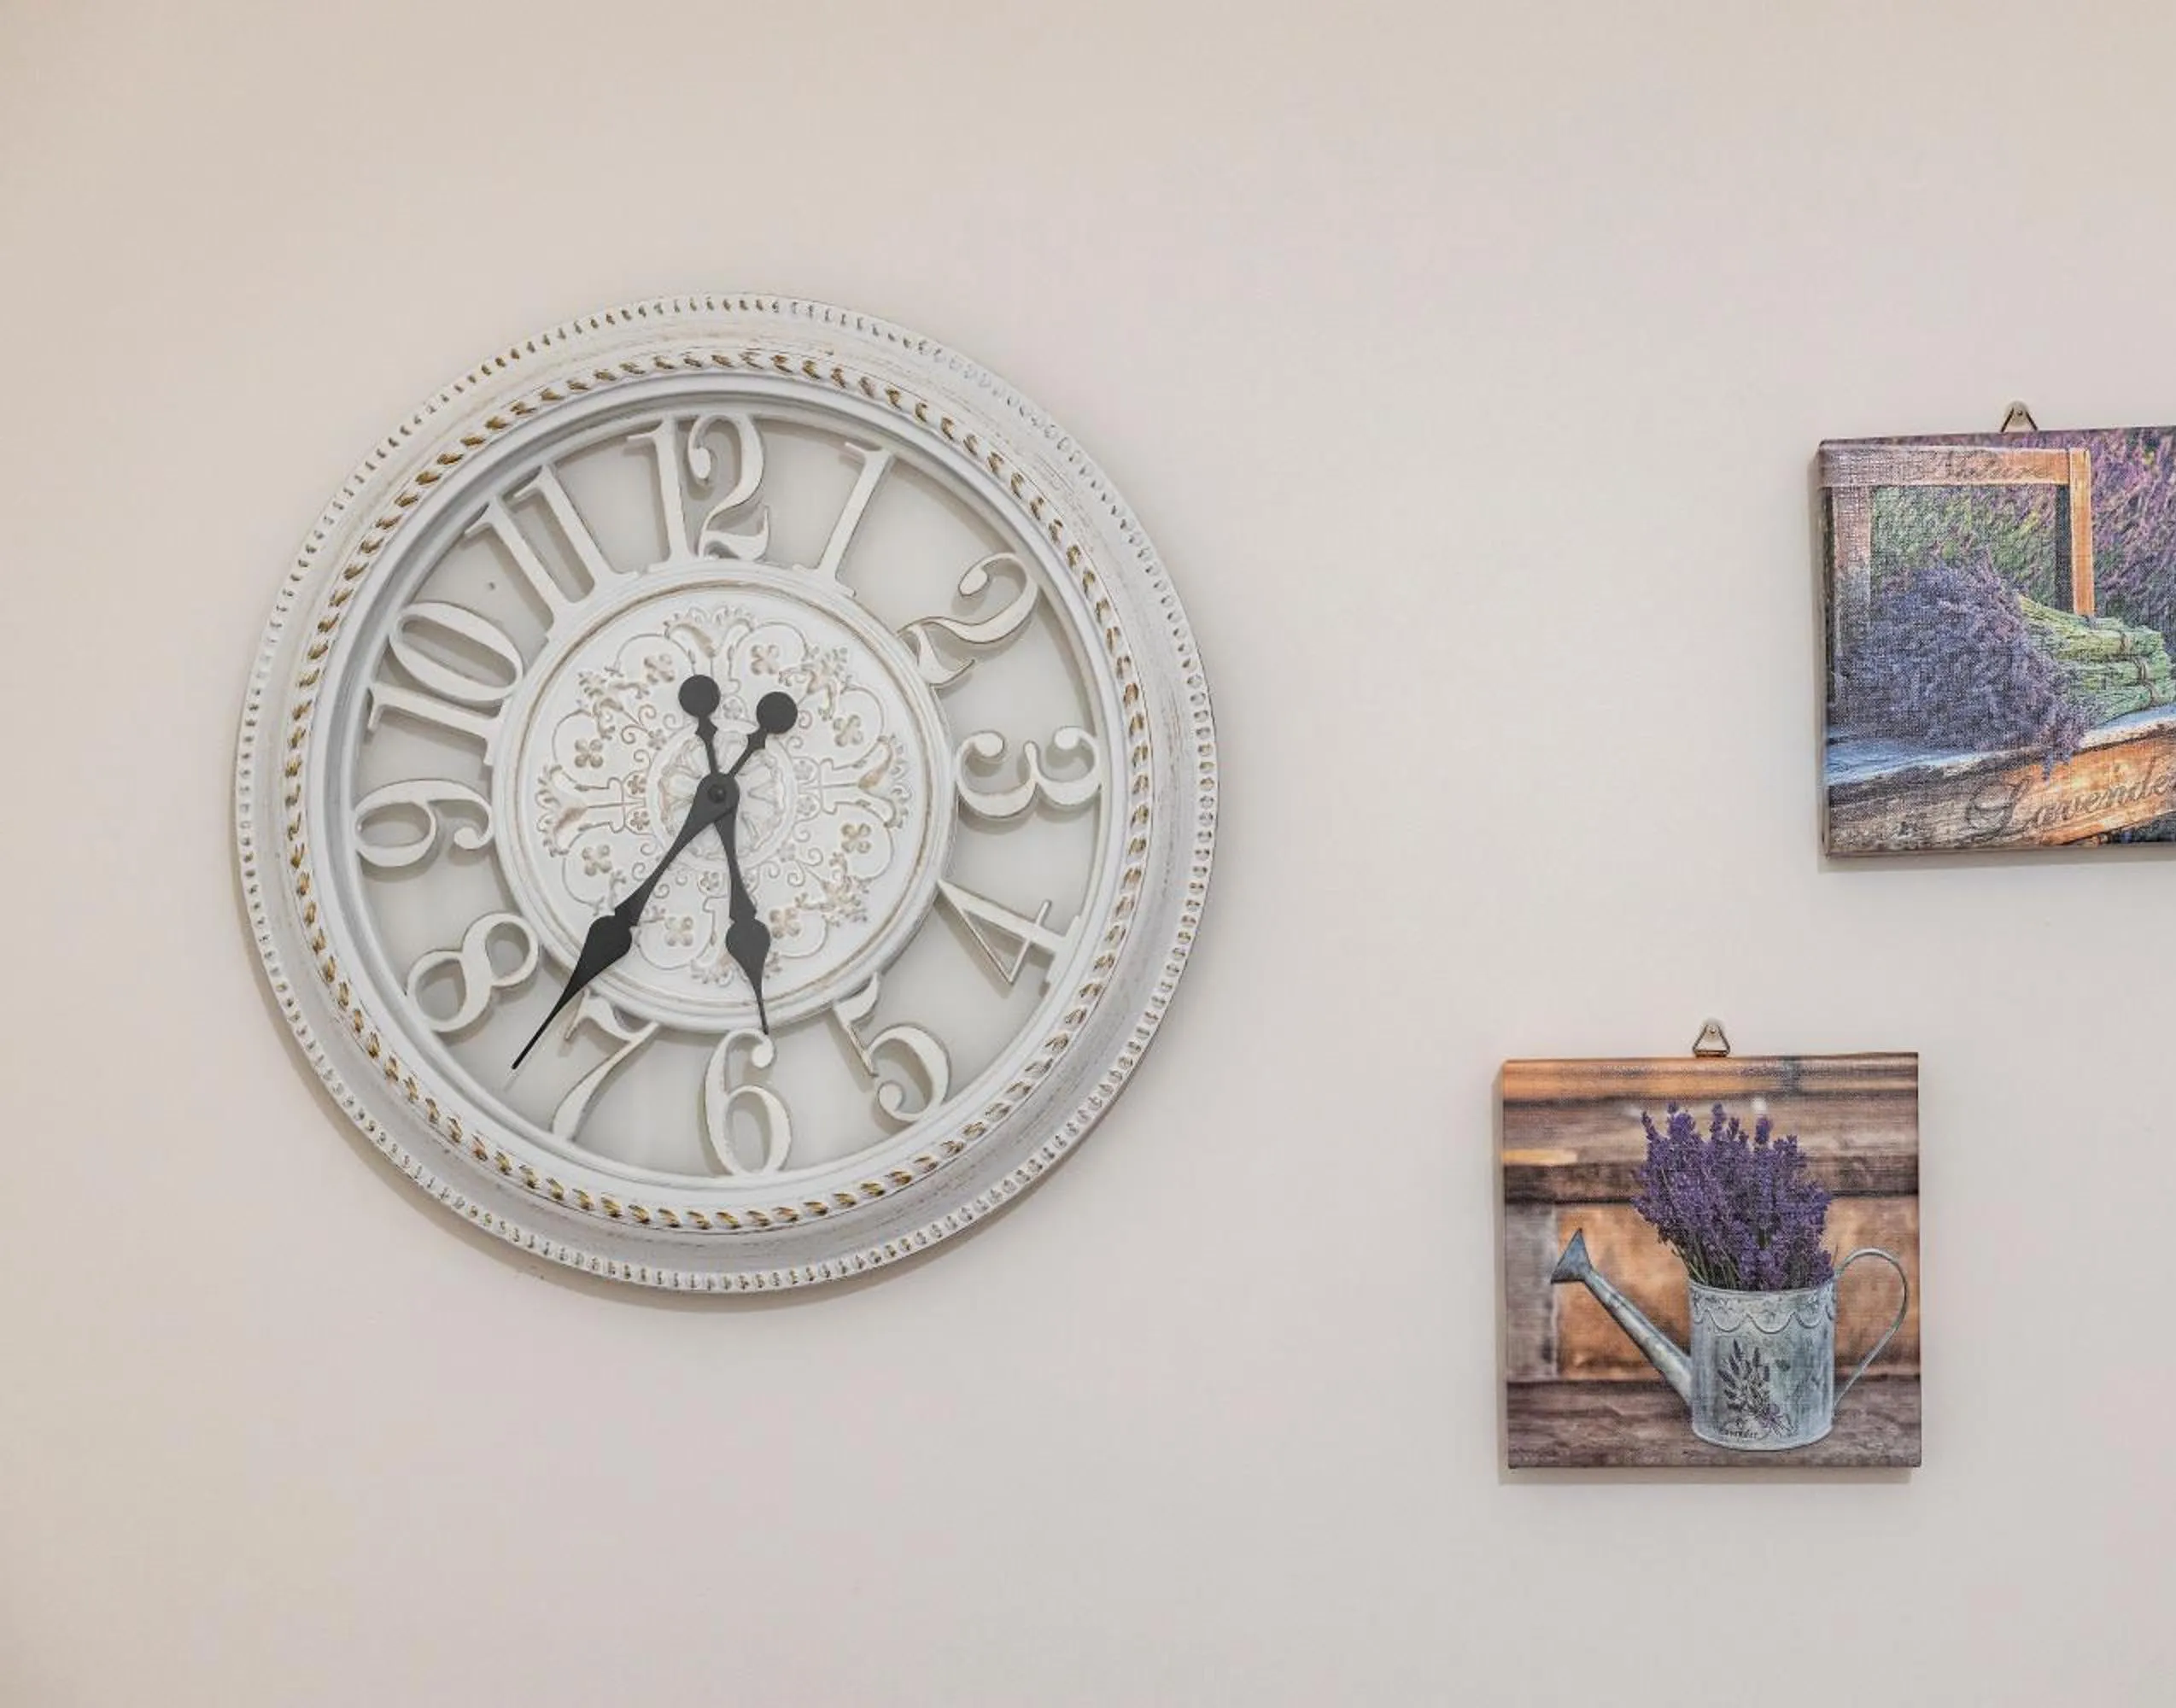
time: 5:37
